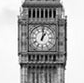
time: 1:01
